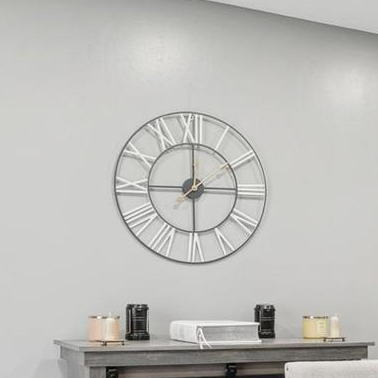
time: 3:00
